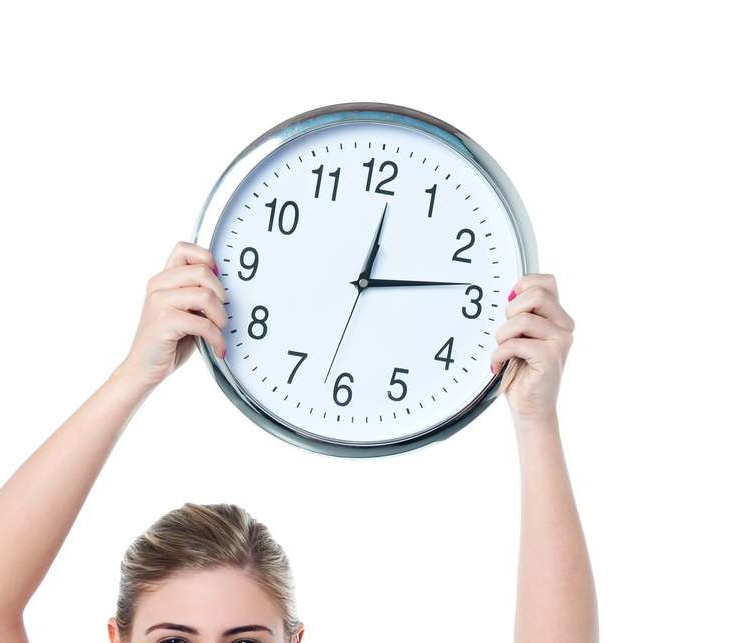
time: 12:13
